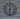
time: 12:32
